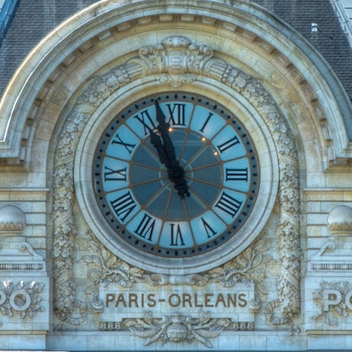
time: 10:57
